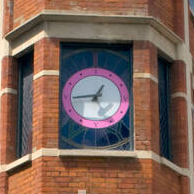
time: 12:44
